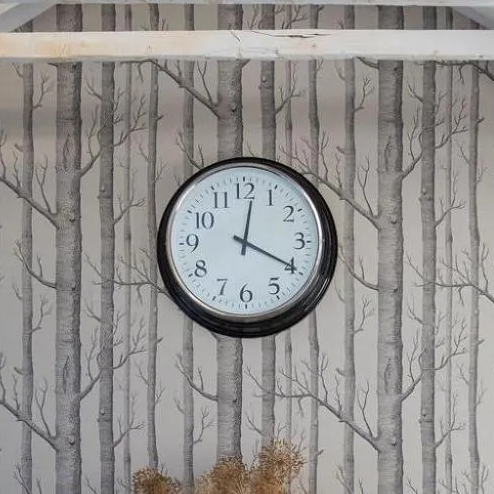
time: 12:19
